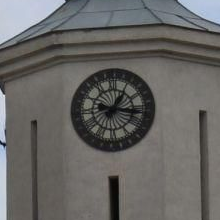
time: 1:16
